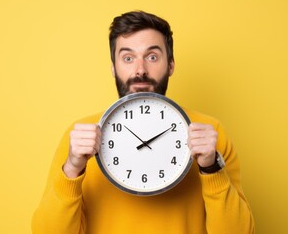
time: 2:09
